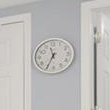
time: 11:34
